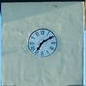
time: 7:09
